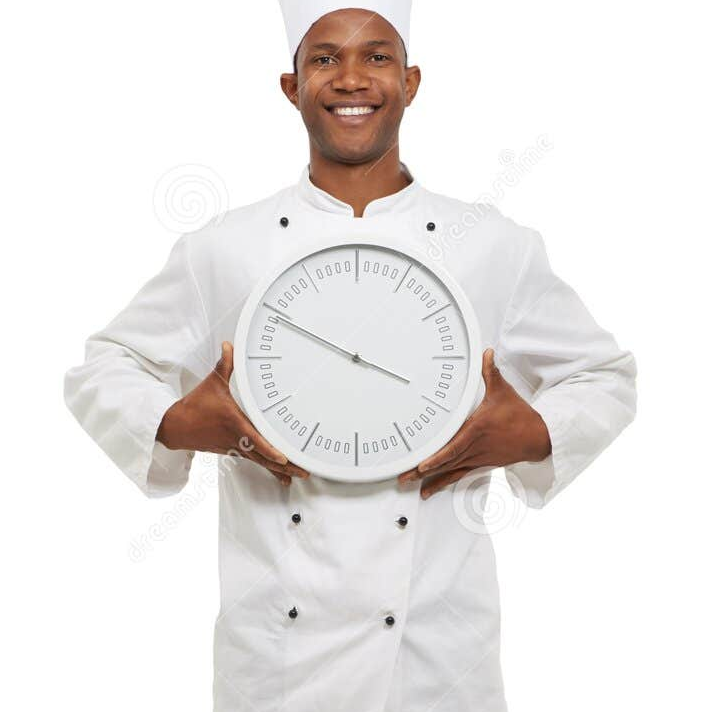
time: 3:49
